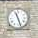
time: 11:26
